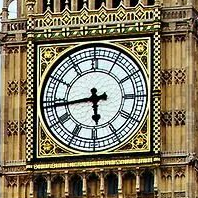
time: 5:43
